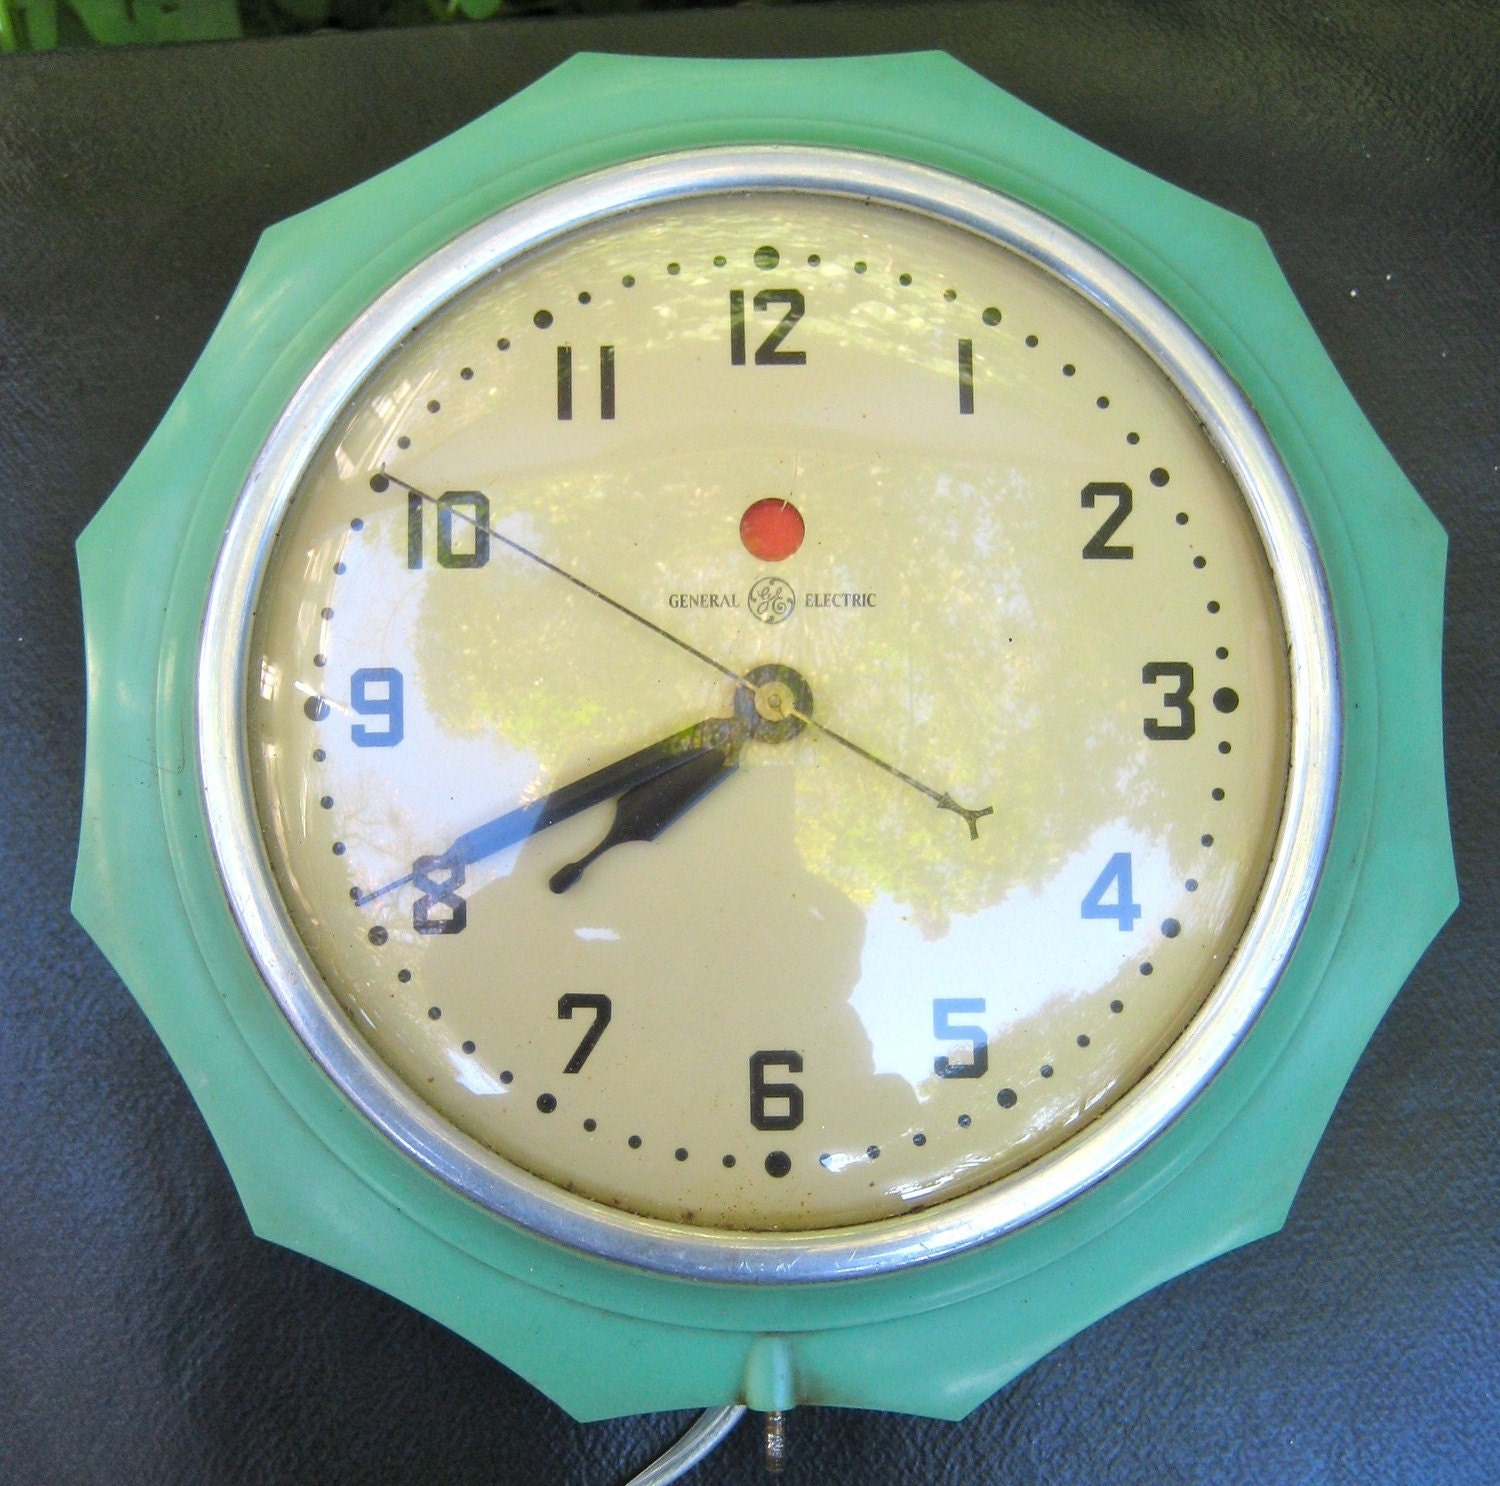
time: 7:40
